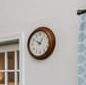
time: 10:05
